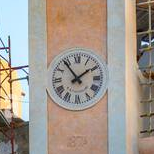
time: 1:53
